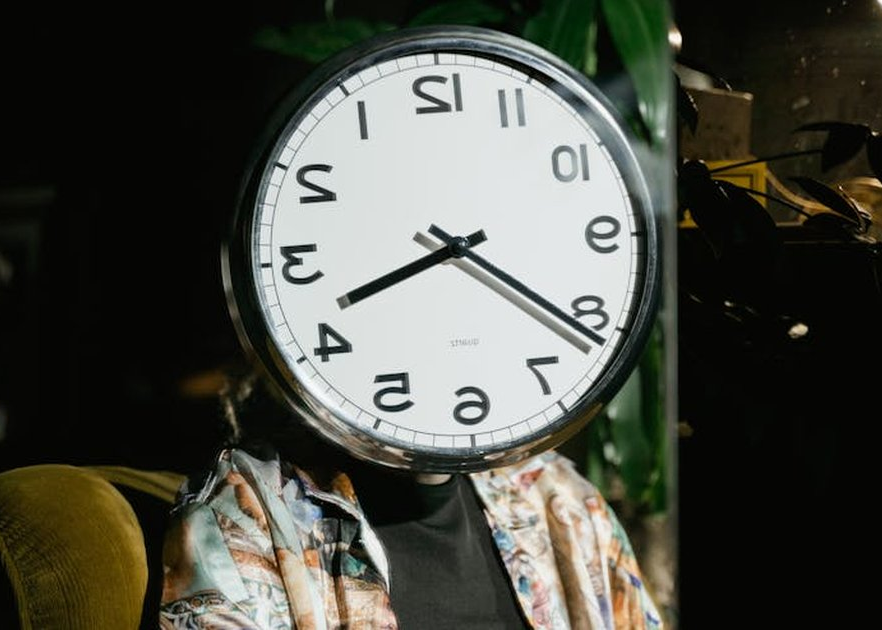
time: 8:21
